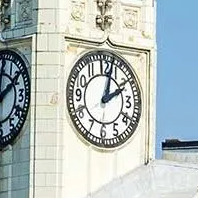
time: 2:02
